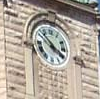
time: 3:52
